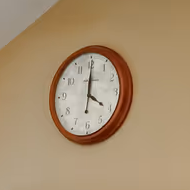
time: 4:00
